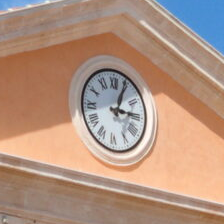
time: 3:04
